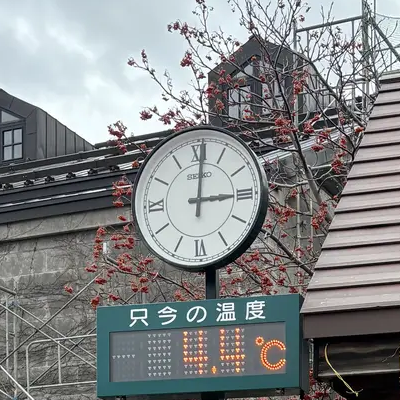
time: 3:01
